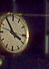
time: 3:54
